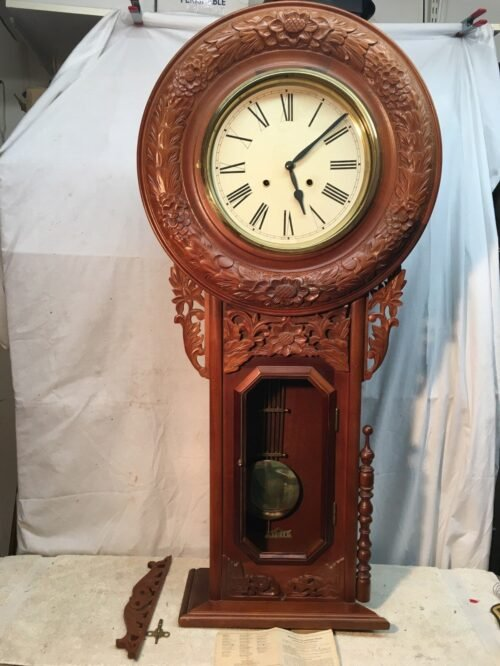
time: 5:08
